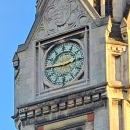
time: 2:45
